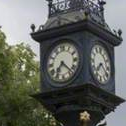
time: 7:22
